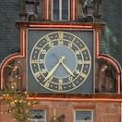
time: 4:36
